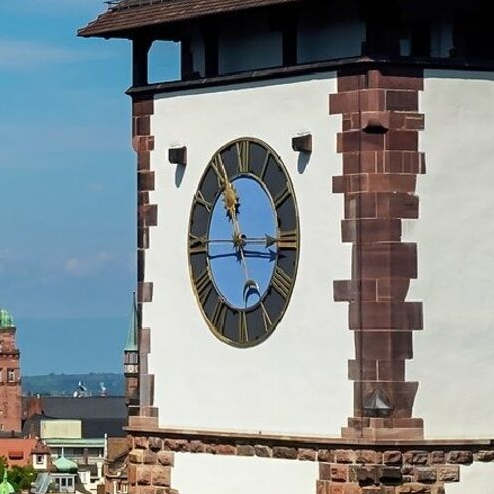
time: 11:15
